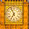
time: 6:56
